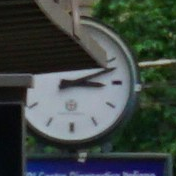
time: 3:11
